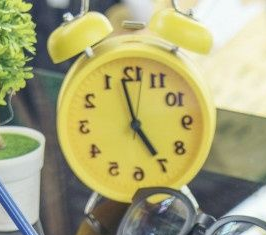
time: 4:57
